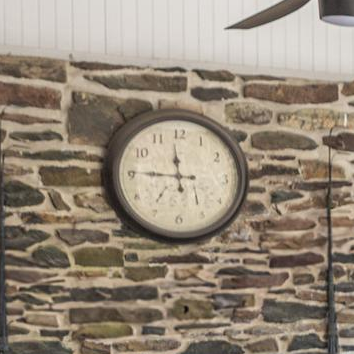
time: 11:45
